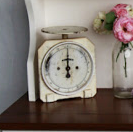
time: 5:59
